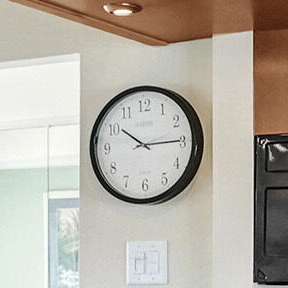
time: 10:14
